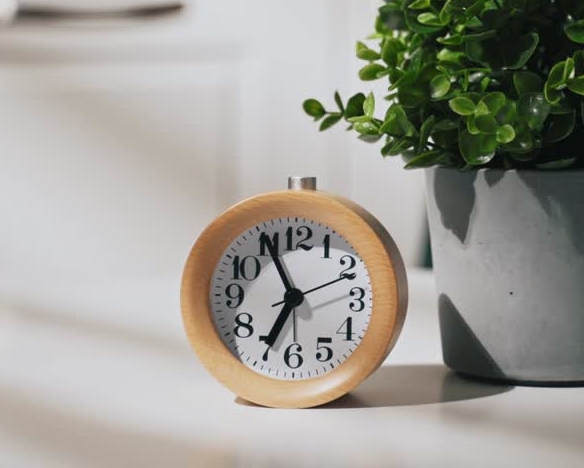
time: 6:55
